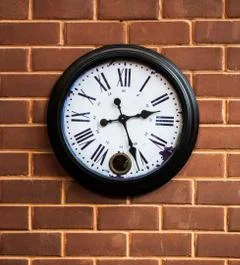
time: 2:26
